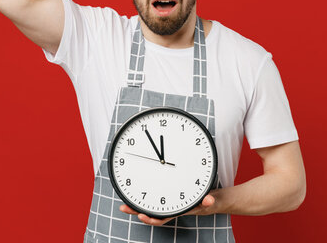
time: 11:54
